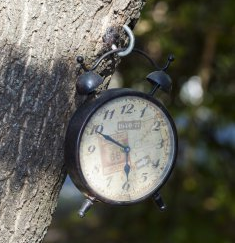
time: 5:49
